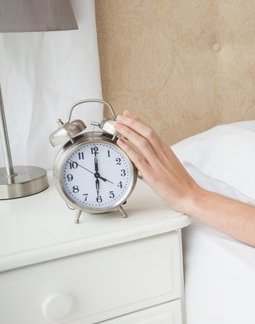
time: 6:00
